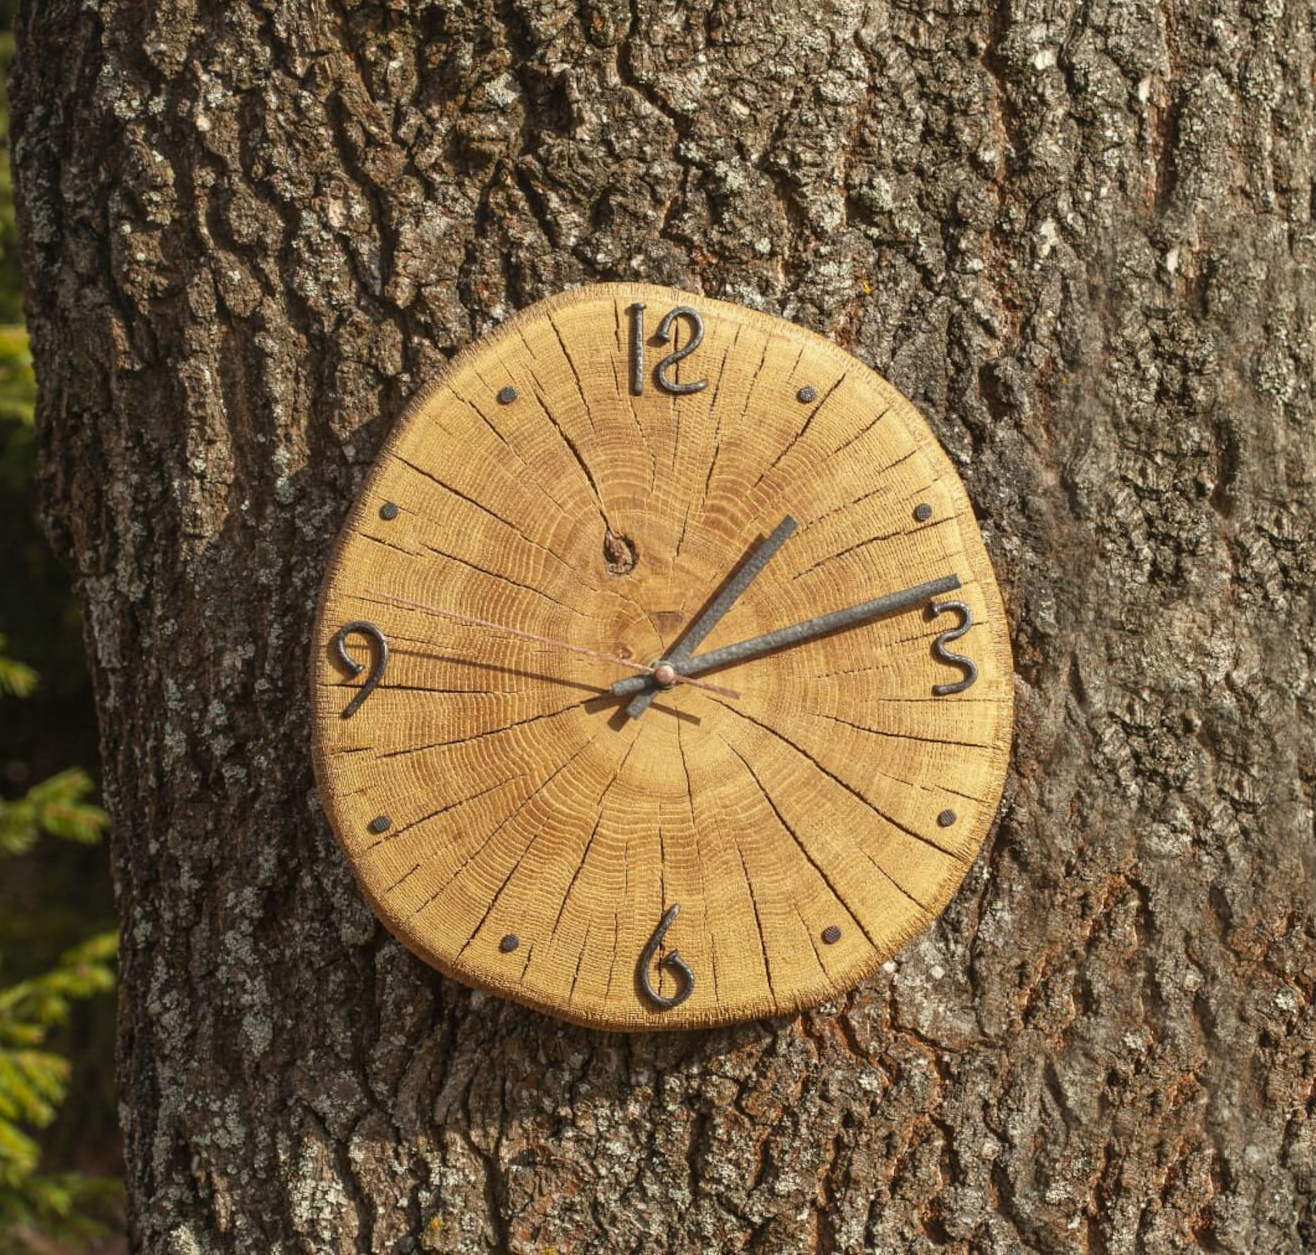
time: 1:12
